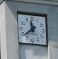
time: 11:38
